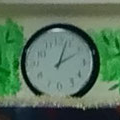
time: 2:03
